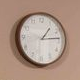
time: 1:13
